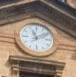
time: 11:09
